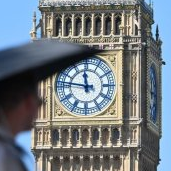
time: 11:46
